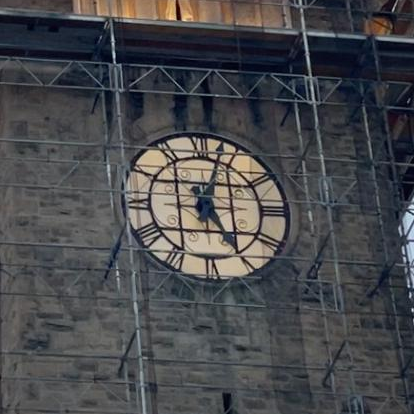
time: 5:03
